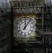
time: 12:06
